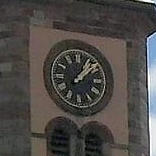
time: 1:08
